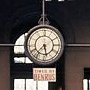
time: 5:36
